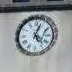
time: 5:03
